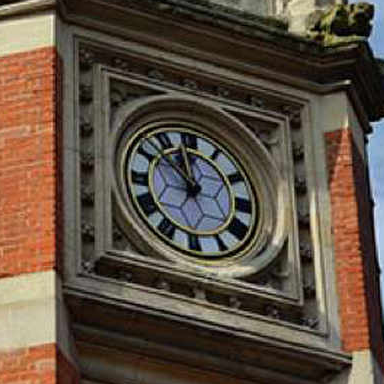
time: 11:52
